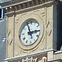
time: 2:56
